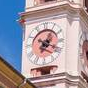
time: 1:18
